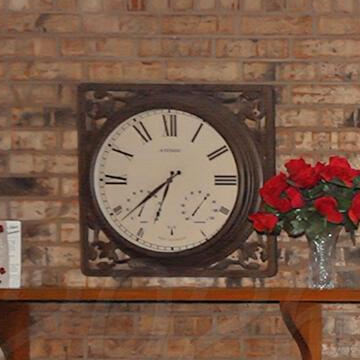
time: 6:38
